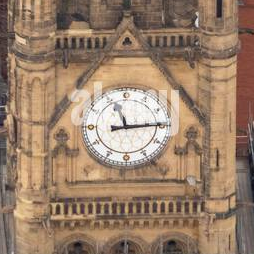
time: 11:14
